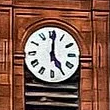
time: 5:00
